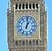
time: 1:01
